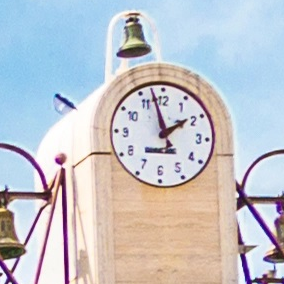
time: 1:57
